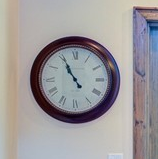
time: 10:55
